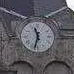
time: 11:33
